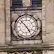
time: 4:52
